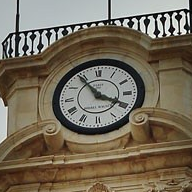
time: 3:54
